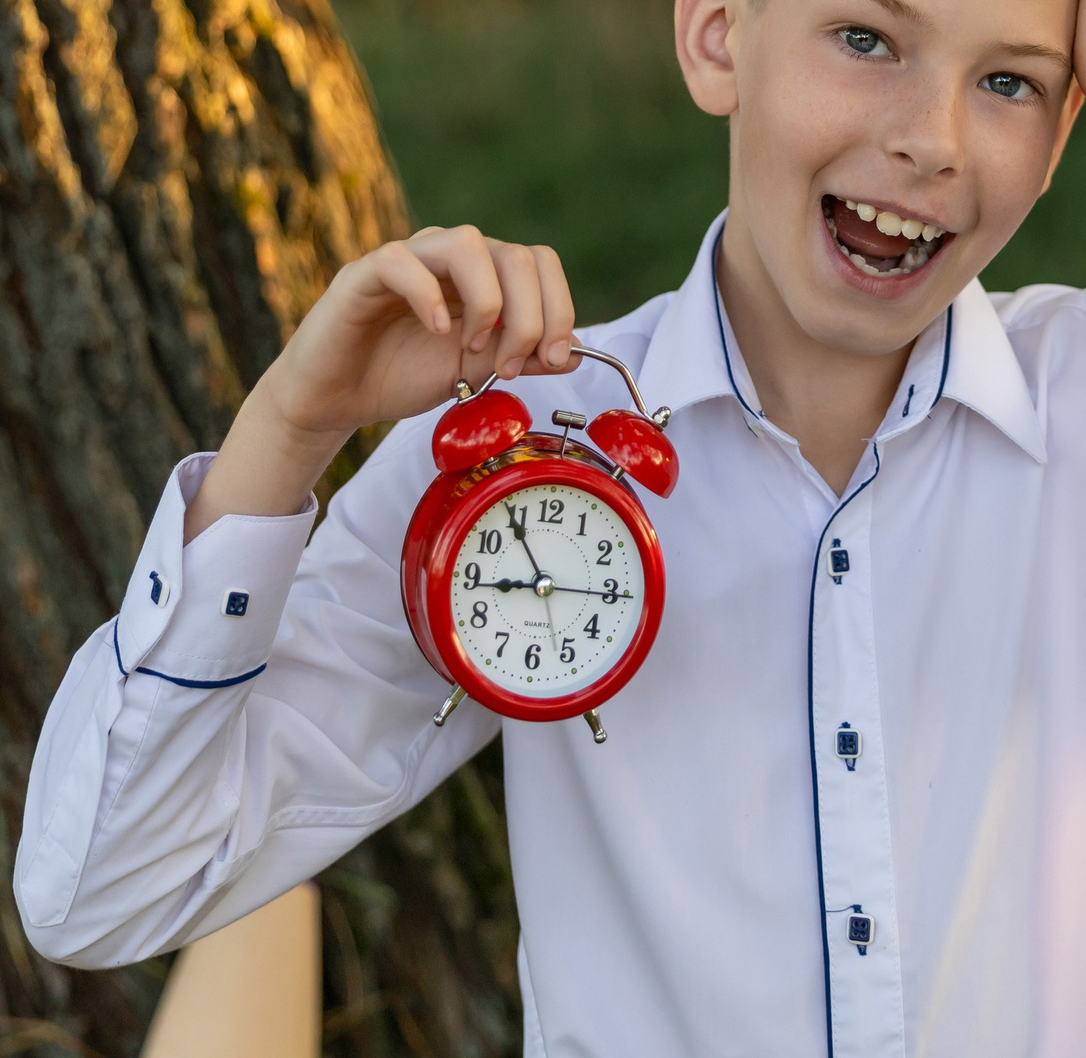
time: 8:54
